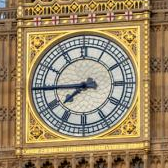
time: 7:44
